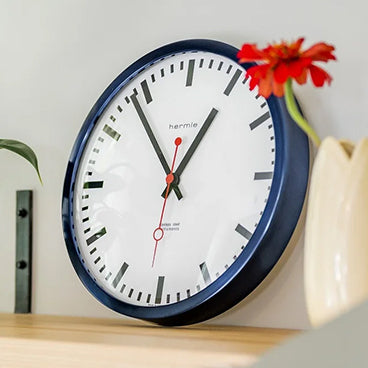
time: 12:53
